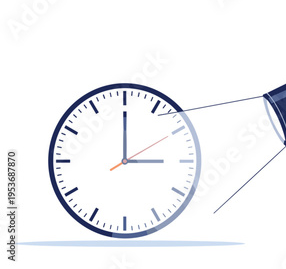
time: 3:00
